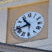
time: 10:42
